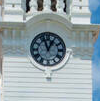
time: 12:57
